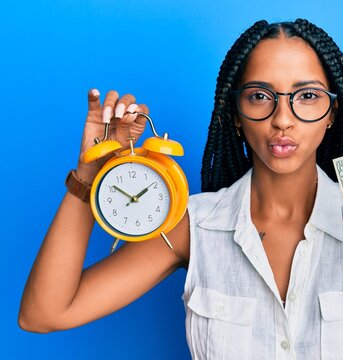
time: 1:50
